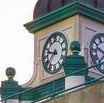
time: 9:38
